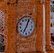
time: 7:04
